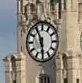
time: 5:55
